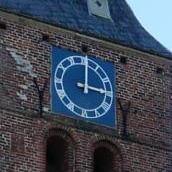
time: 3:00
